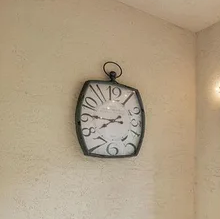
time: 7:45
